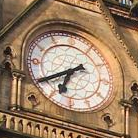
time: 6:39
